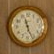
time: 11:26
